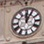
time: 12:04
